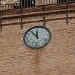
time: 11:53
